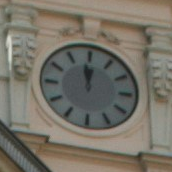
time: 11:58
